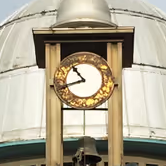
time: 10:42
